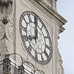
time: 7:59
